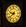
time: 9:39
